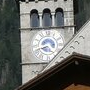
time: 4:41
